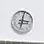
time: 3:02
